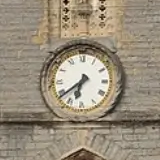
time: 6:38
